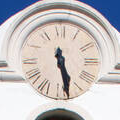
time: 5:28
